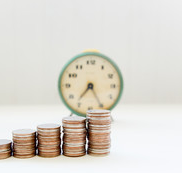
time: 7:25
